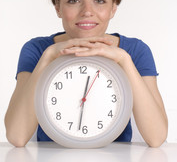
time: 12:32
